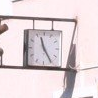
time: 11:24
